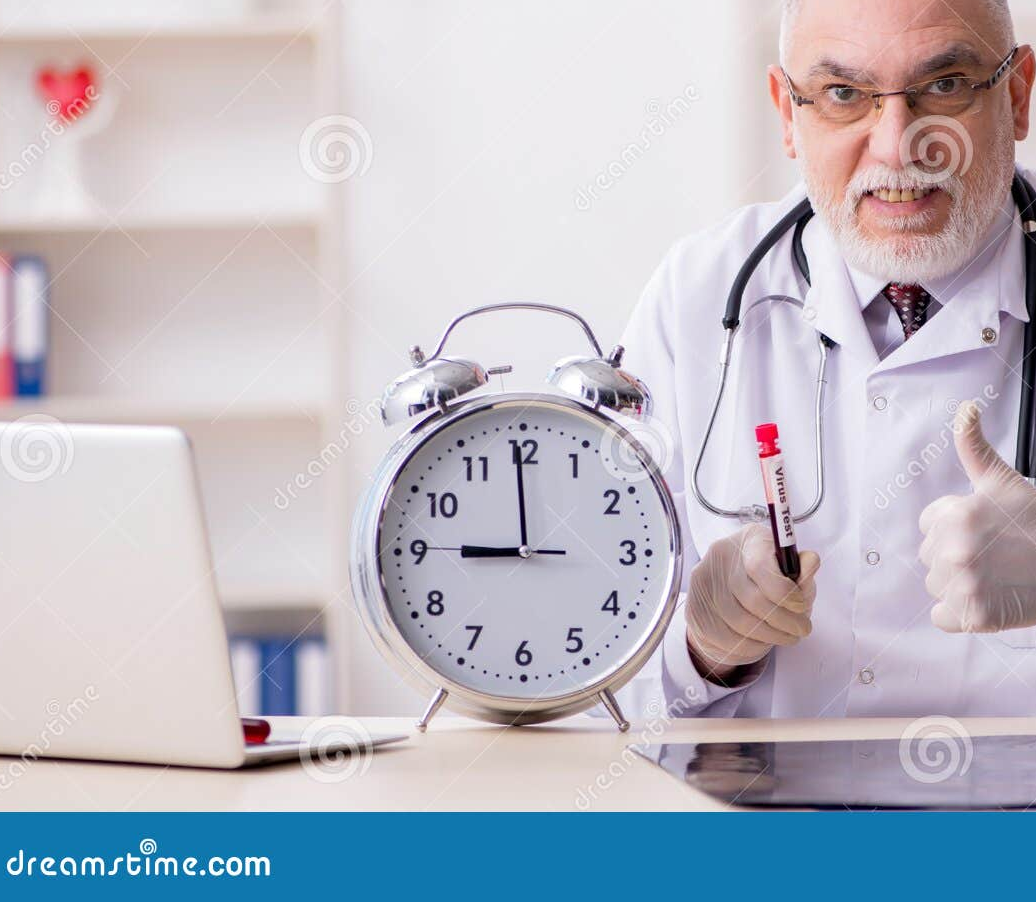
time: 8:59
